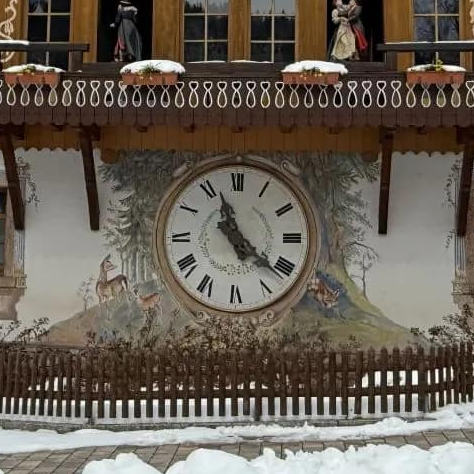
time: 11:21
